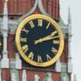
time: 2:12
